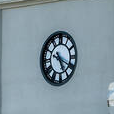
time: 5:19
